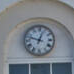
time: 12:47
